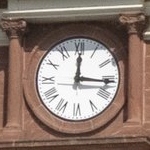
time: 12:15
